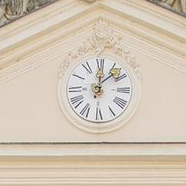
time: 12:07
